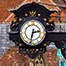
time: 2:32
